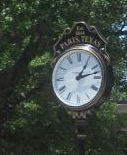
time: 1:12
